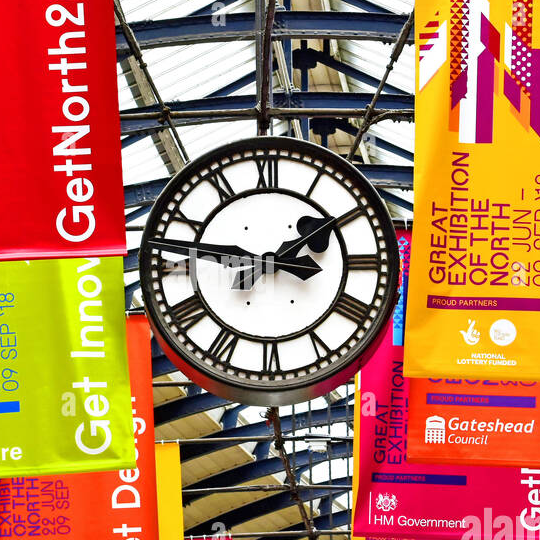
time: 1:46
